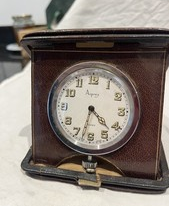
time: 4:32
